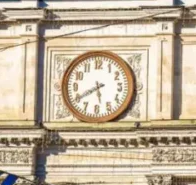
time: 5:40
